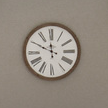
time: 11:49
